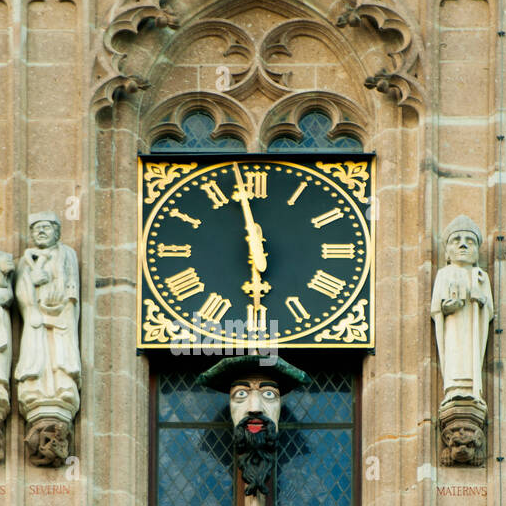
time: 5:58
